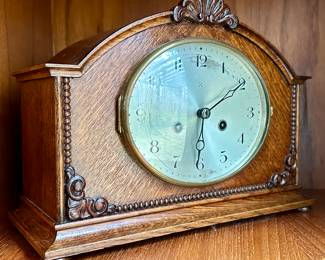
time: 6:09
